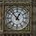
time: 12:53
